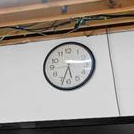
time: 5:33
